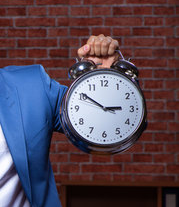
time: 2:50
